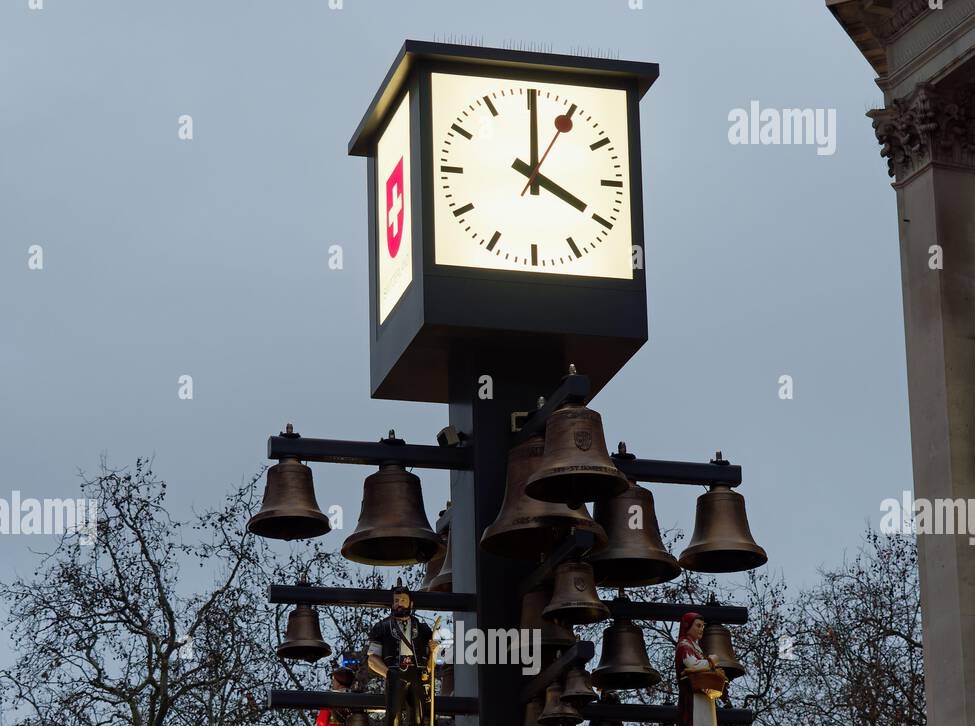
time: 4:00
